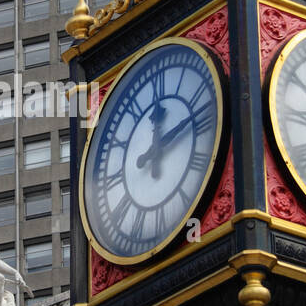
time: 12:13
